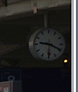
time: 9:19
